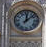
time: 12:07
